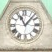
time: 11:07
